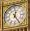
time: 12:24
